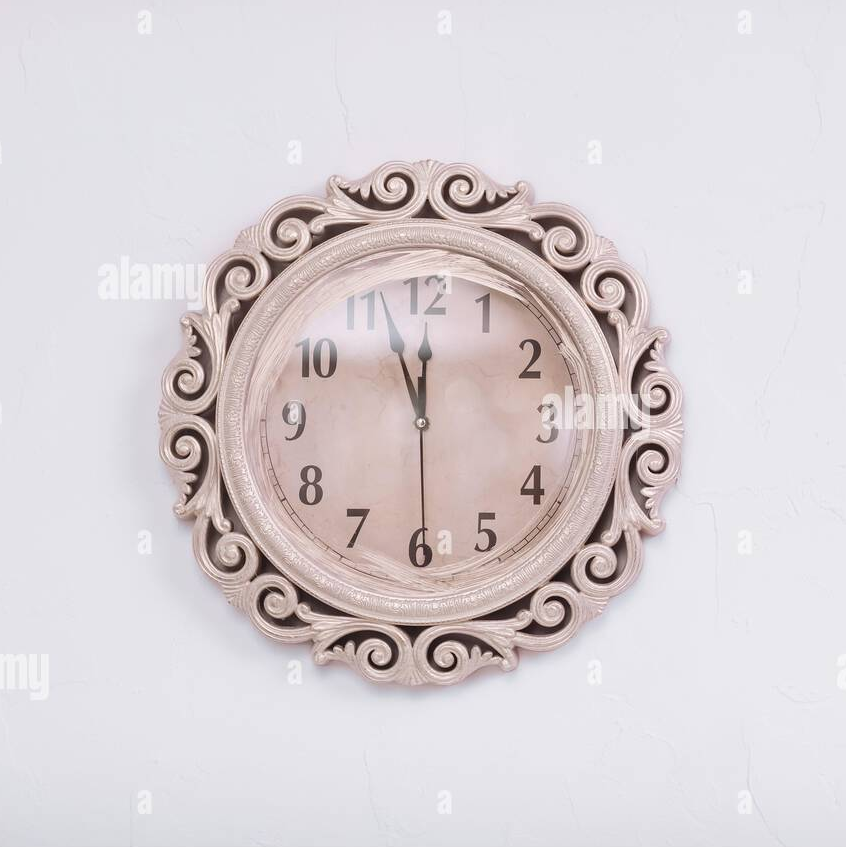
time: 11:56
